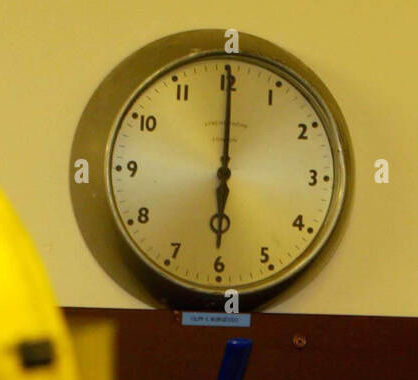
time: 6:00
